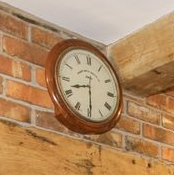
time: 8:29
